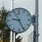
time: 9:25
